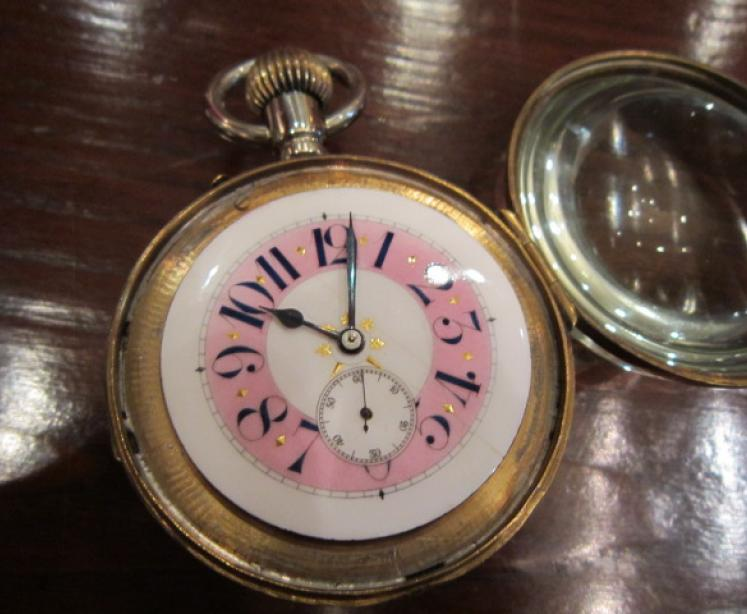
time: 10:02
